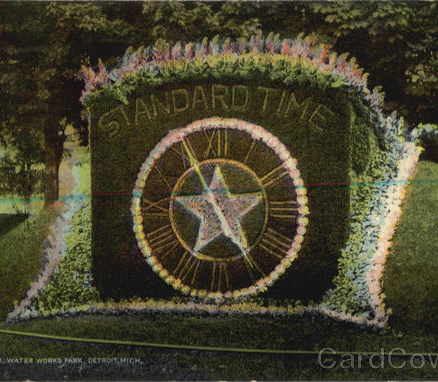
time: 12:24
